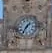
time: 1:35
